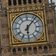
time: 6:06
